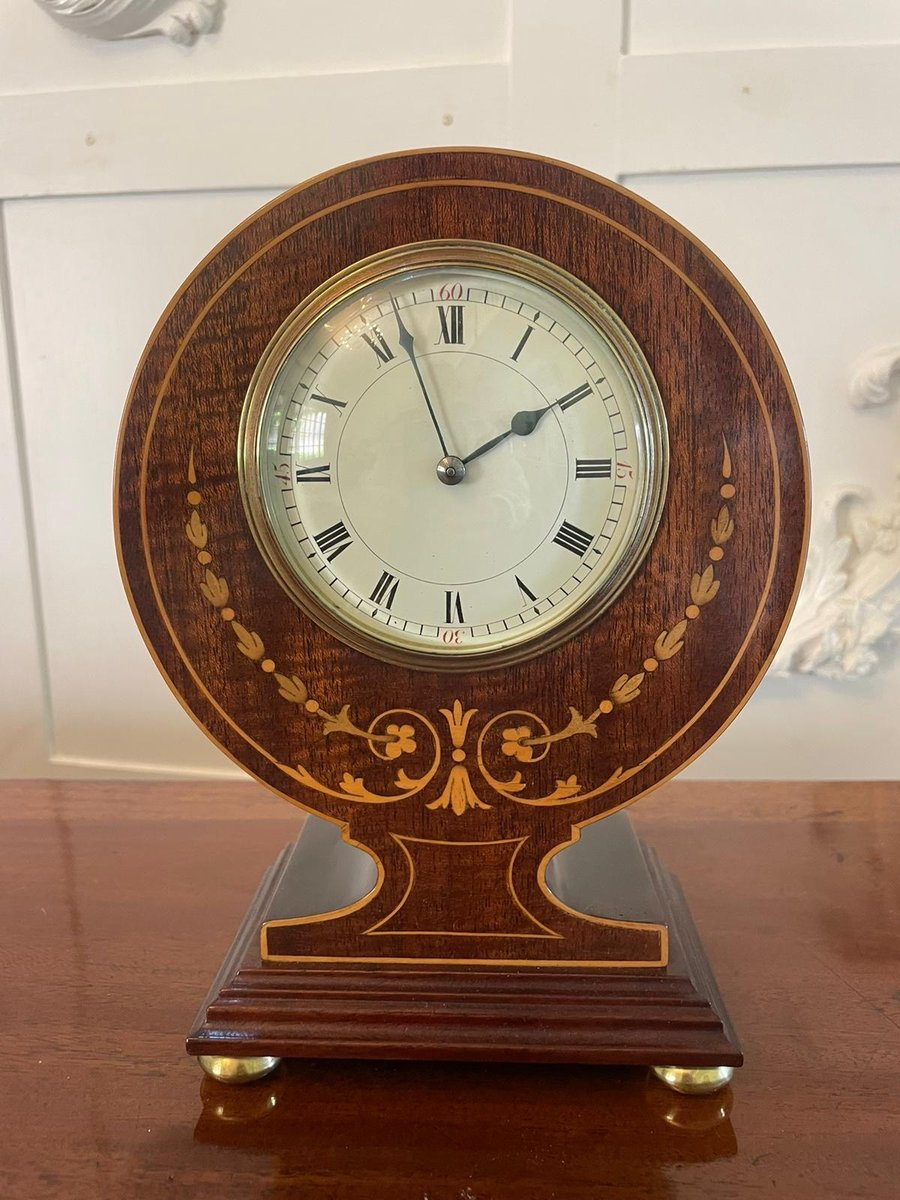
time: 1:56
